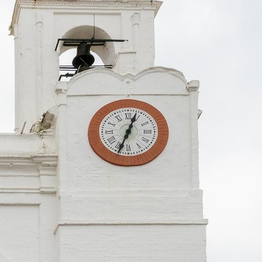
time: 12:33
